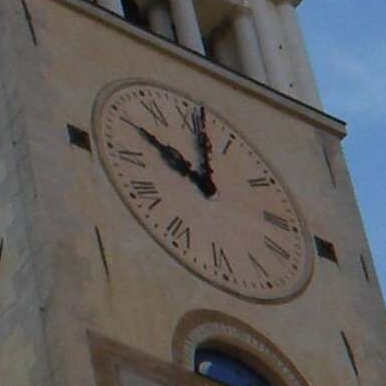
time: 10:01
